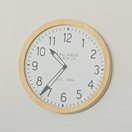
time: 10:36
